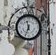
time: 11:33
